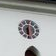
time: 6:29
